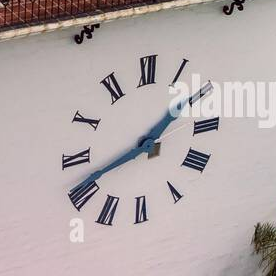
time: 1:41
